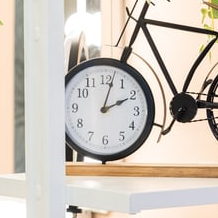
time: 2:02
